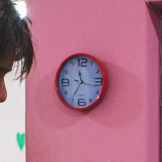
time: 11:35
